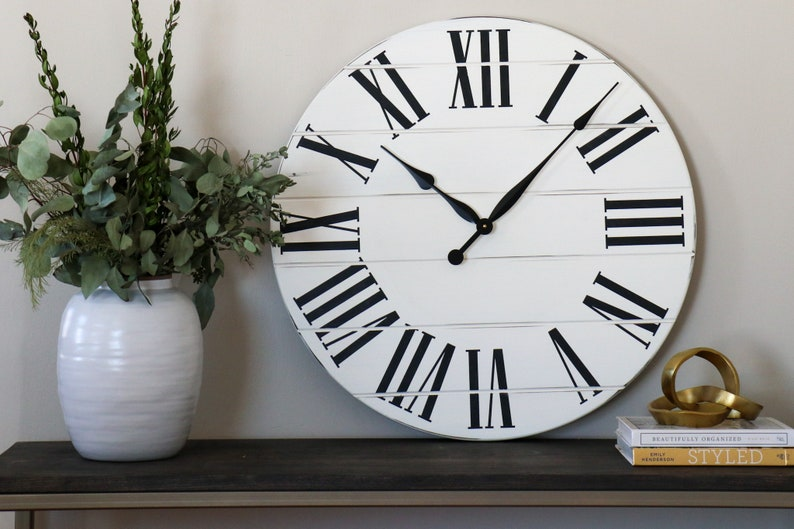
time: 10:07
